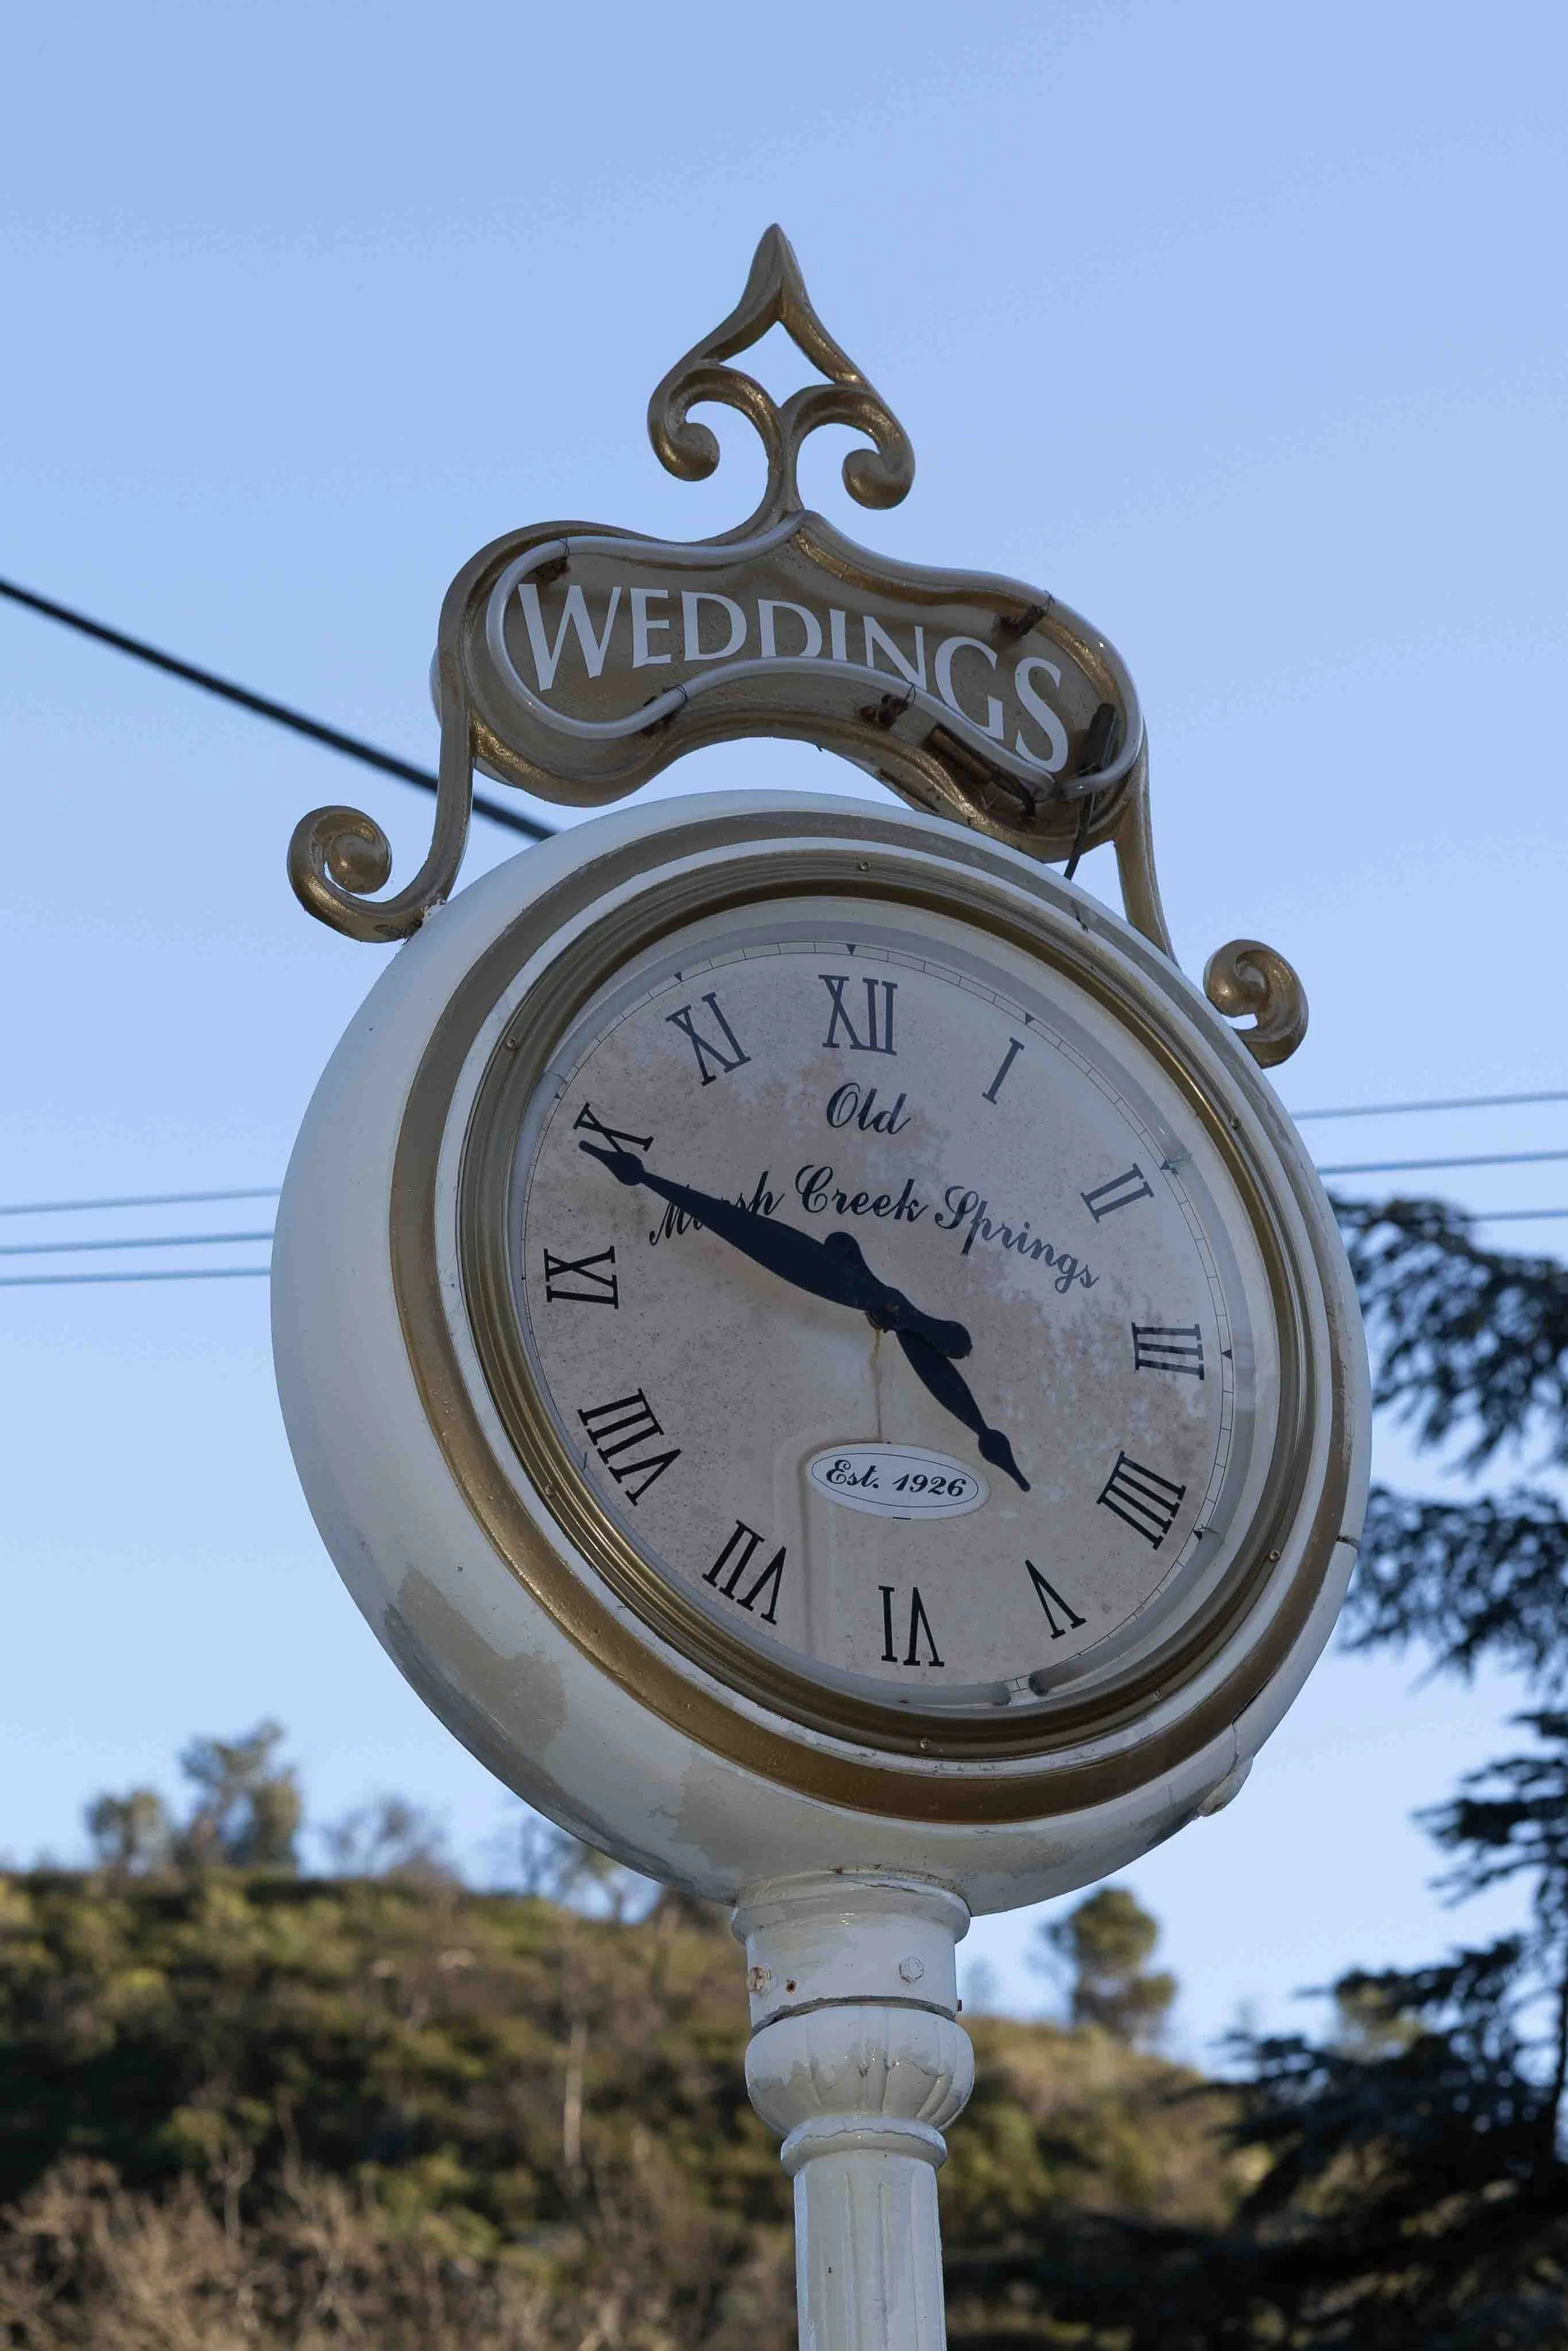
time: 4:49
